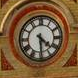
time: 4:29
